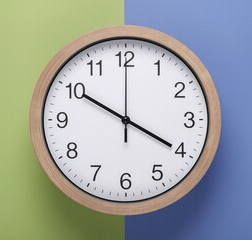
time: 3:50
